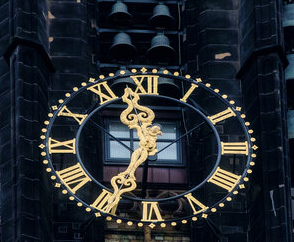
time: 11:34
